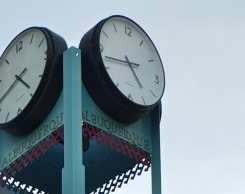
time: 4:42
